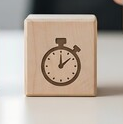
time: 12:08
